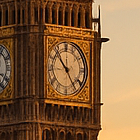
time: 10:24
